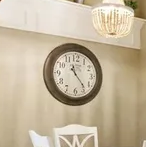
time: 11:23
